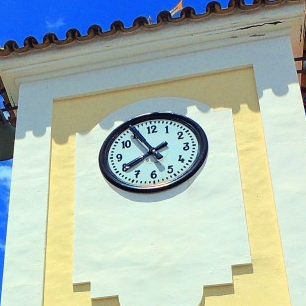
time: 7:54
